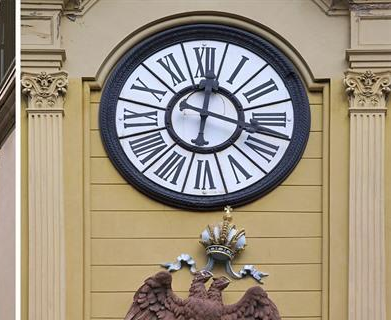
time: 12:17
